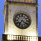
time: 7:20
